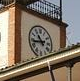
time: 10:43
